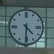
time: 4:30
